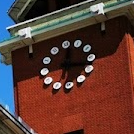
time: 12:33
